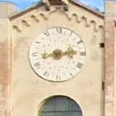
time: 2:42
